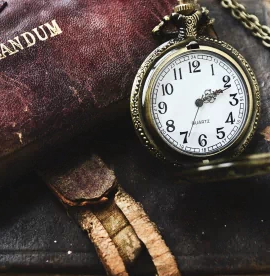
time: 2:11
